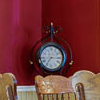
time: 7:15
